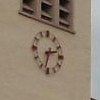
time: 2:32
